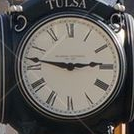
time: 2:46
